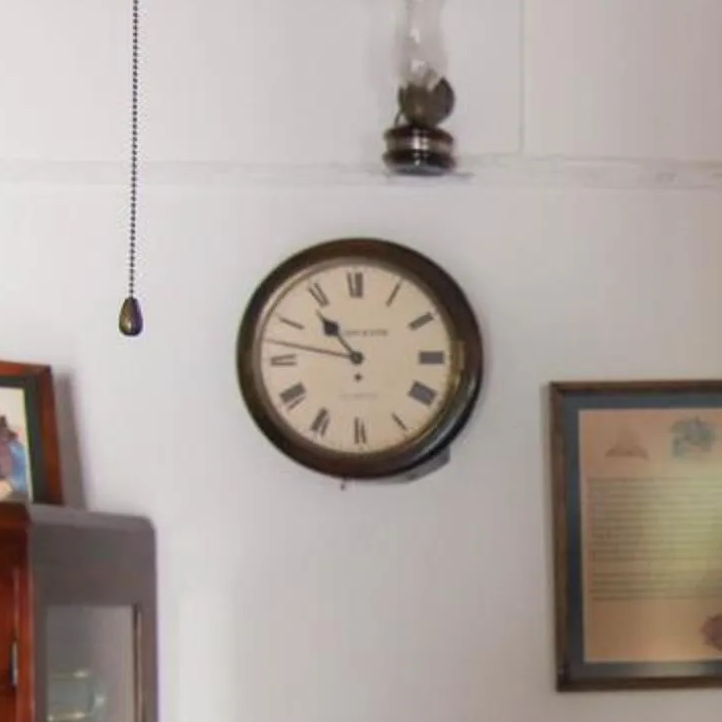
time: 10:47
